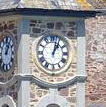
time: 1:02
